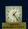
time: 1:23
